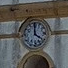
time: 4:00
